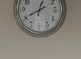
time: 12:40
